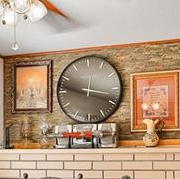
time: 9:17
